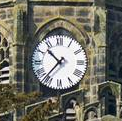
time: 10:36
